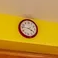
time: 3:46
